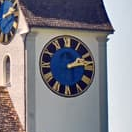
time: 2:13
